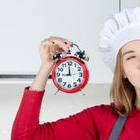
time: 8:59
